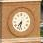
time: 7:32
